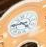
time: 4:42
